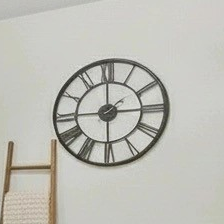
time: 2:59
